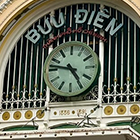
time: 4:46
